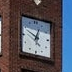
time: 12:49
